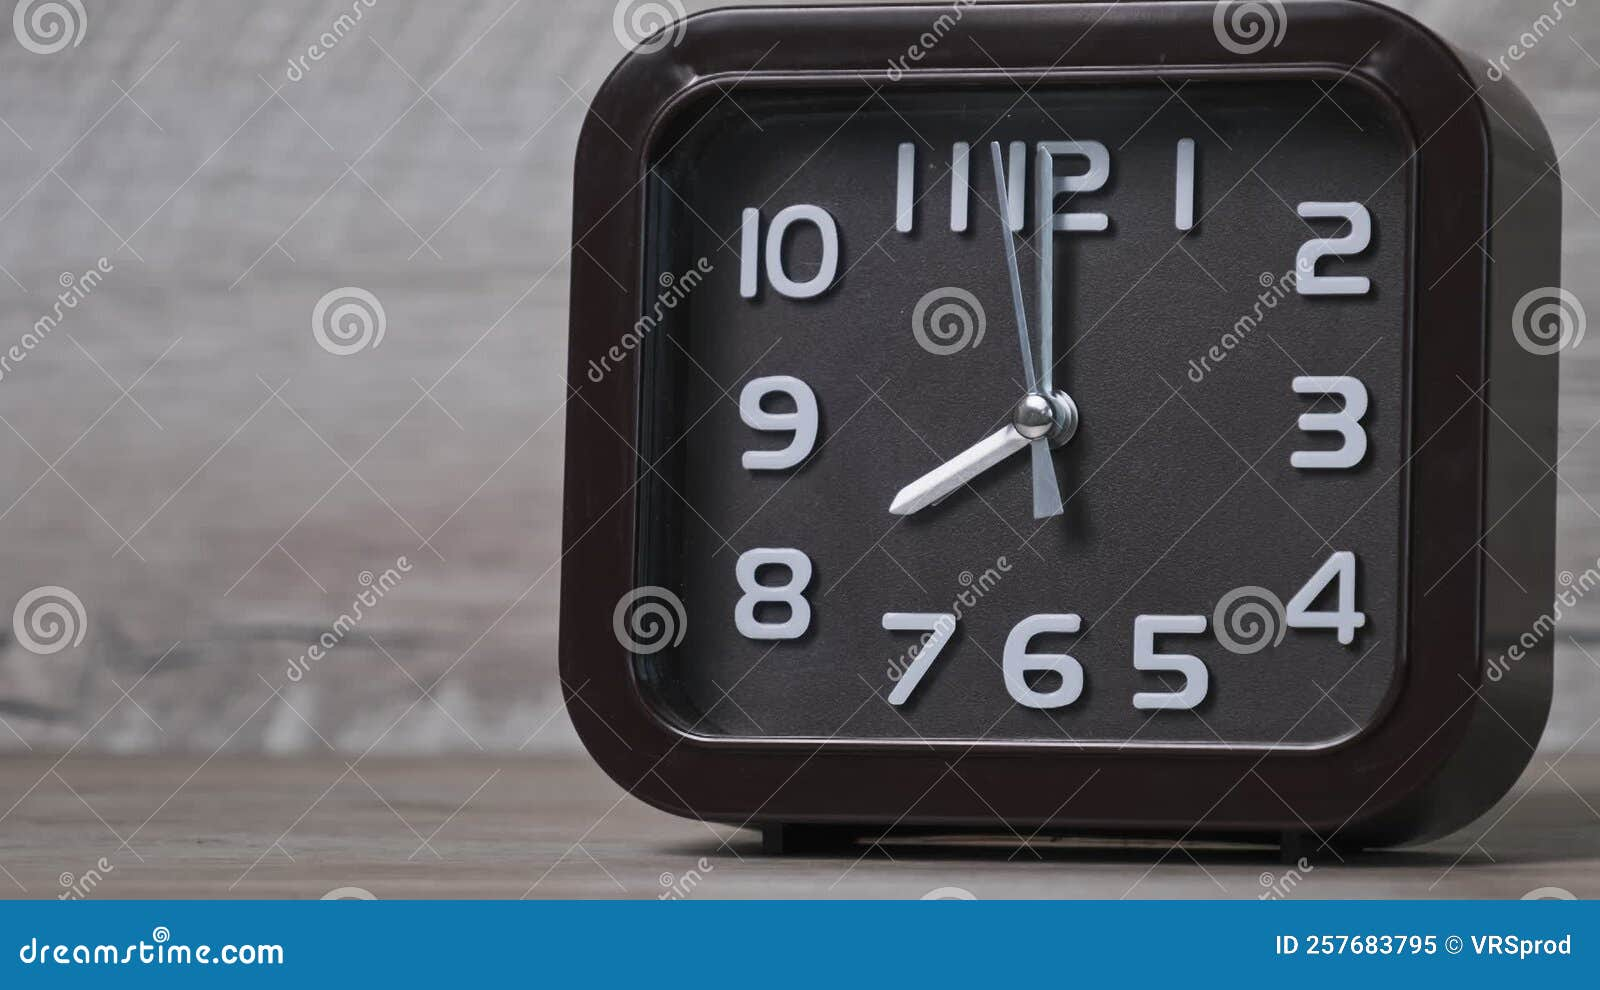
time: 8:00
